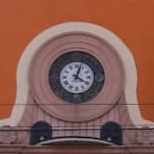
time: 4:03
